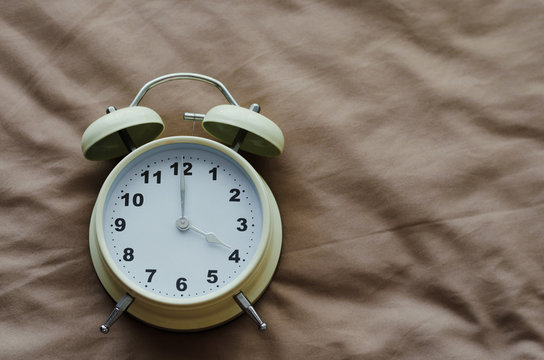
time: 4:00
